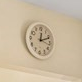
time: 12:11
